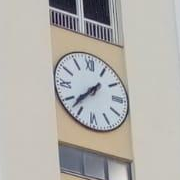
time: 7:37
